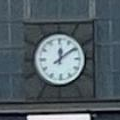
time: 12:09
